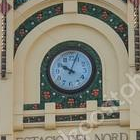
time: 10:03
